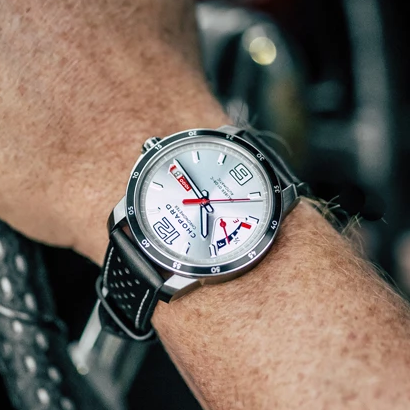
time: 5:55
